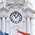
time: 11:07
